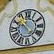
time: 10:23
